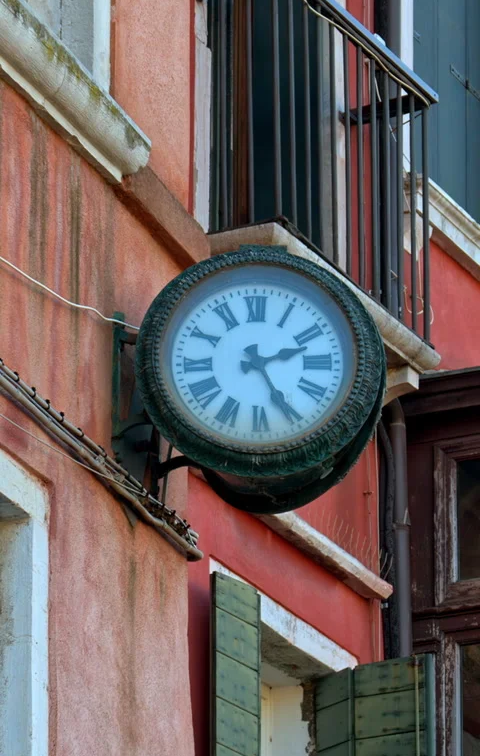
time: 2:25
